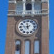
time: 11:46
